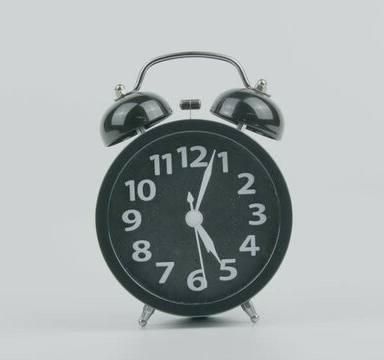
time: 5:03
